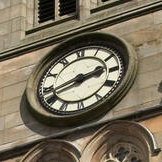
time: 2:42
